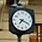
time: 7:18
